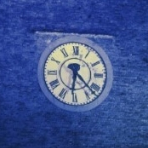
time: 6:22
